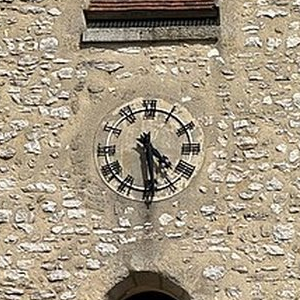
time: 4:28
